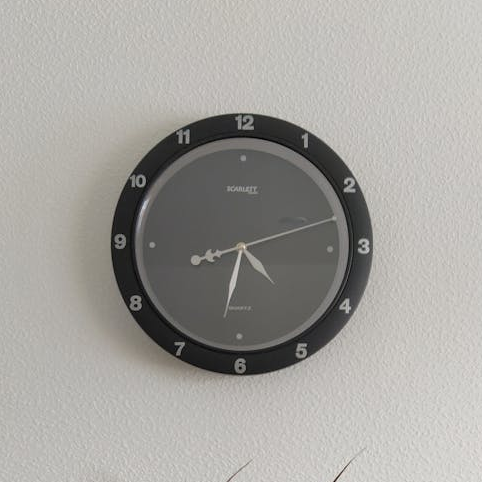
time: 4:32
